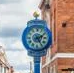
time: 2:24
